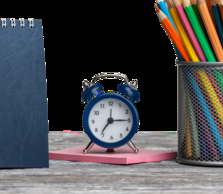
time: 7:15
